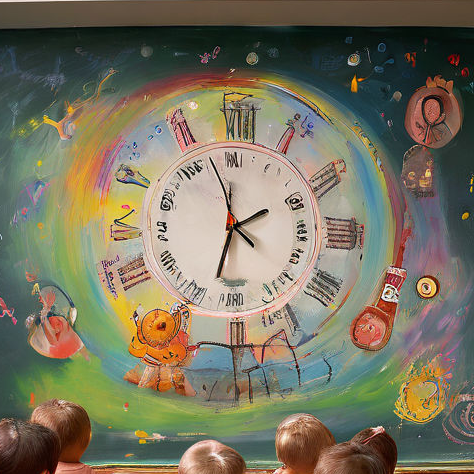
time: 1:57
